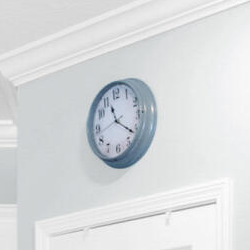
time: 11:21
